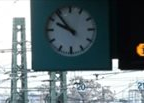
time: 9:53
